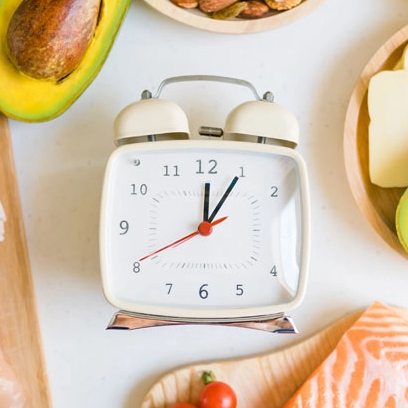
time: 12:05
